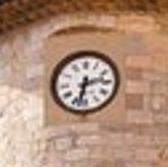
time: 2:32
